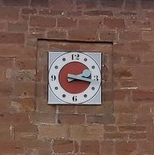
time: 2:17
